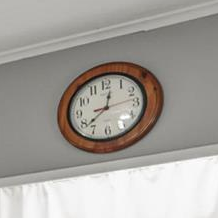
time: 12:38
